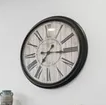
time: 7:15
